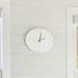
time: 2:01
